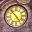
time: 4:52
